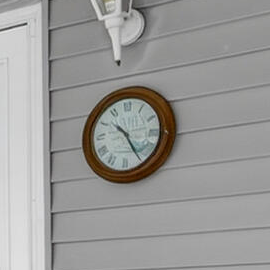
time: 10:24
